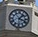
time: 1:18
